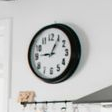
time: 9:05
